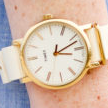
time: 3:11
